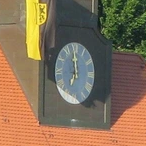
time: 6:59
